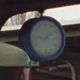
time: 1:46
